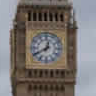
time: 12:40
